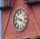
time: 3:47
